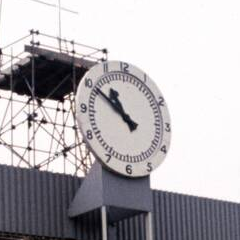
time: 10:50
